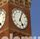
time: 5:03
